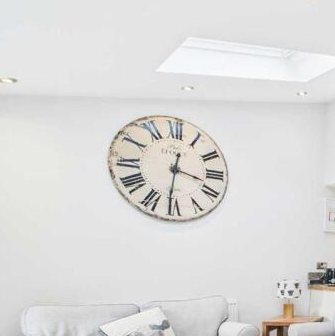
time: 3:31
